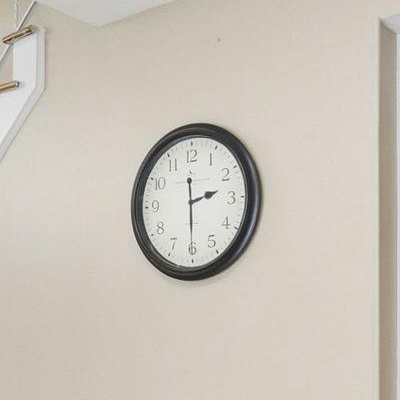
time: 2:29
